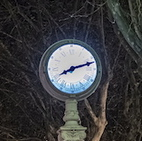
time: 8:12
